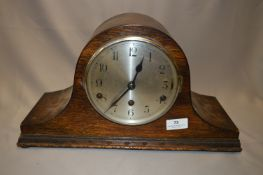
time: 12:35
